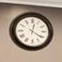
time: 12:20
